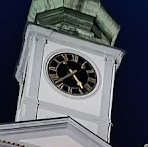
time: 4:37
